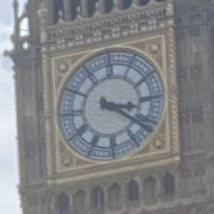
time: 3:21
